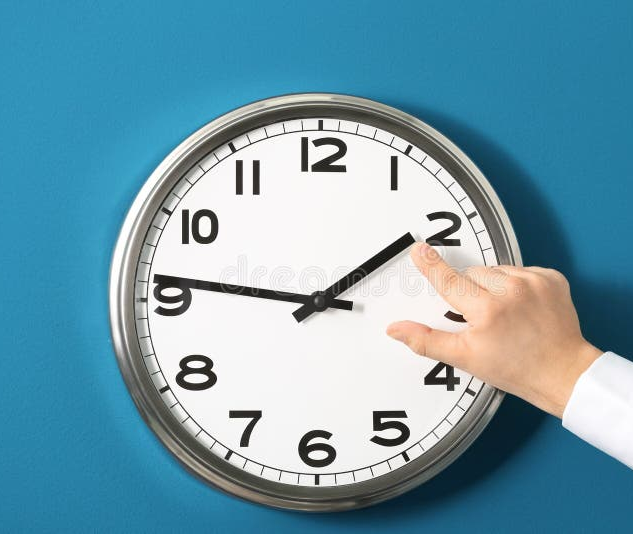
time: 1:46
